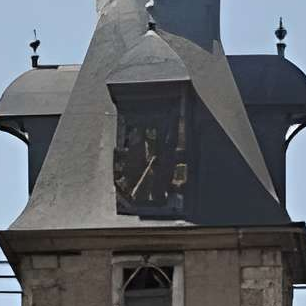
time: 11:35
